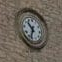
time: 10:33
